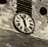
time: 11:28
